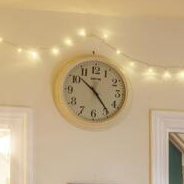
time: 10:23
